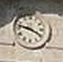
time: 3:47
